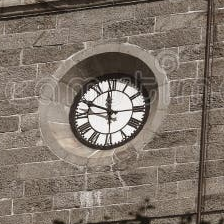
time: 11:48
